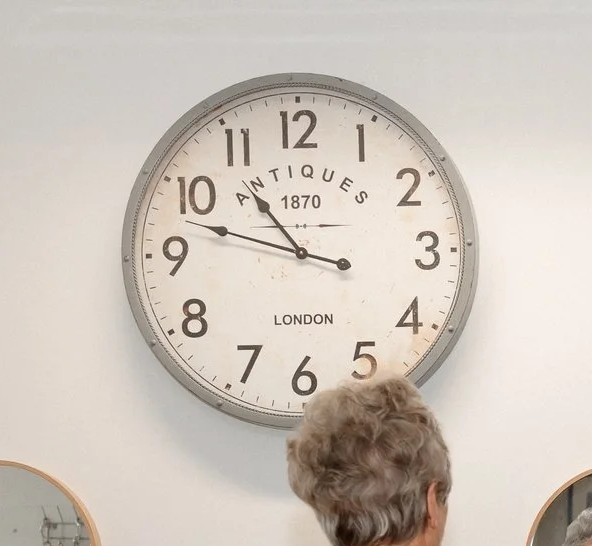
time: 10:47
